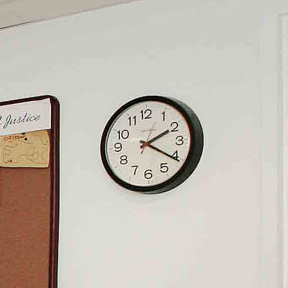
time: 2:20
